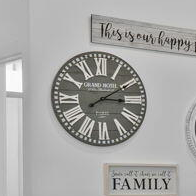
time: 3:09
